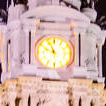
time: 9:56
